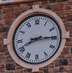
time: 8:14
